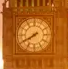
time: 7:40
